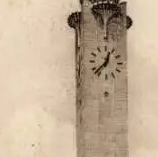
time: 12:37
